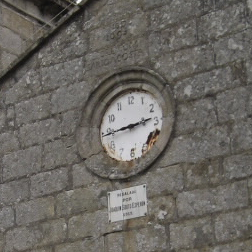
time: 2:44
